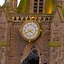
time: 8:21
